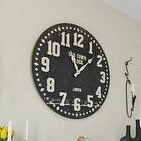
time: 11:07
